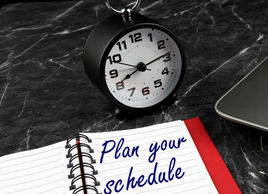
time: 8:13
